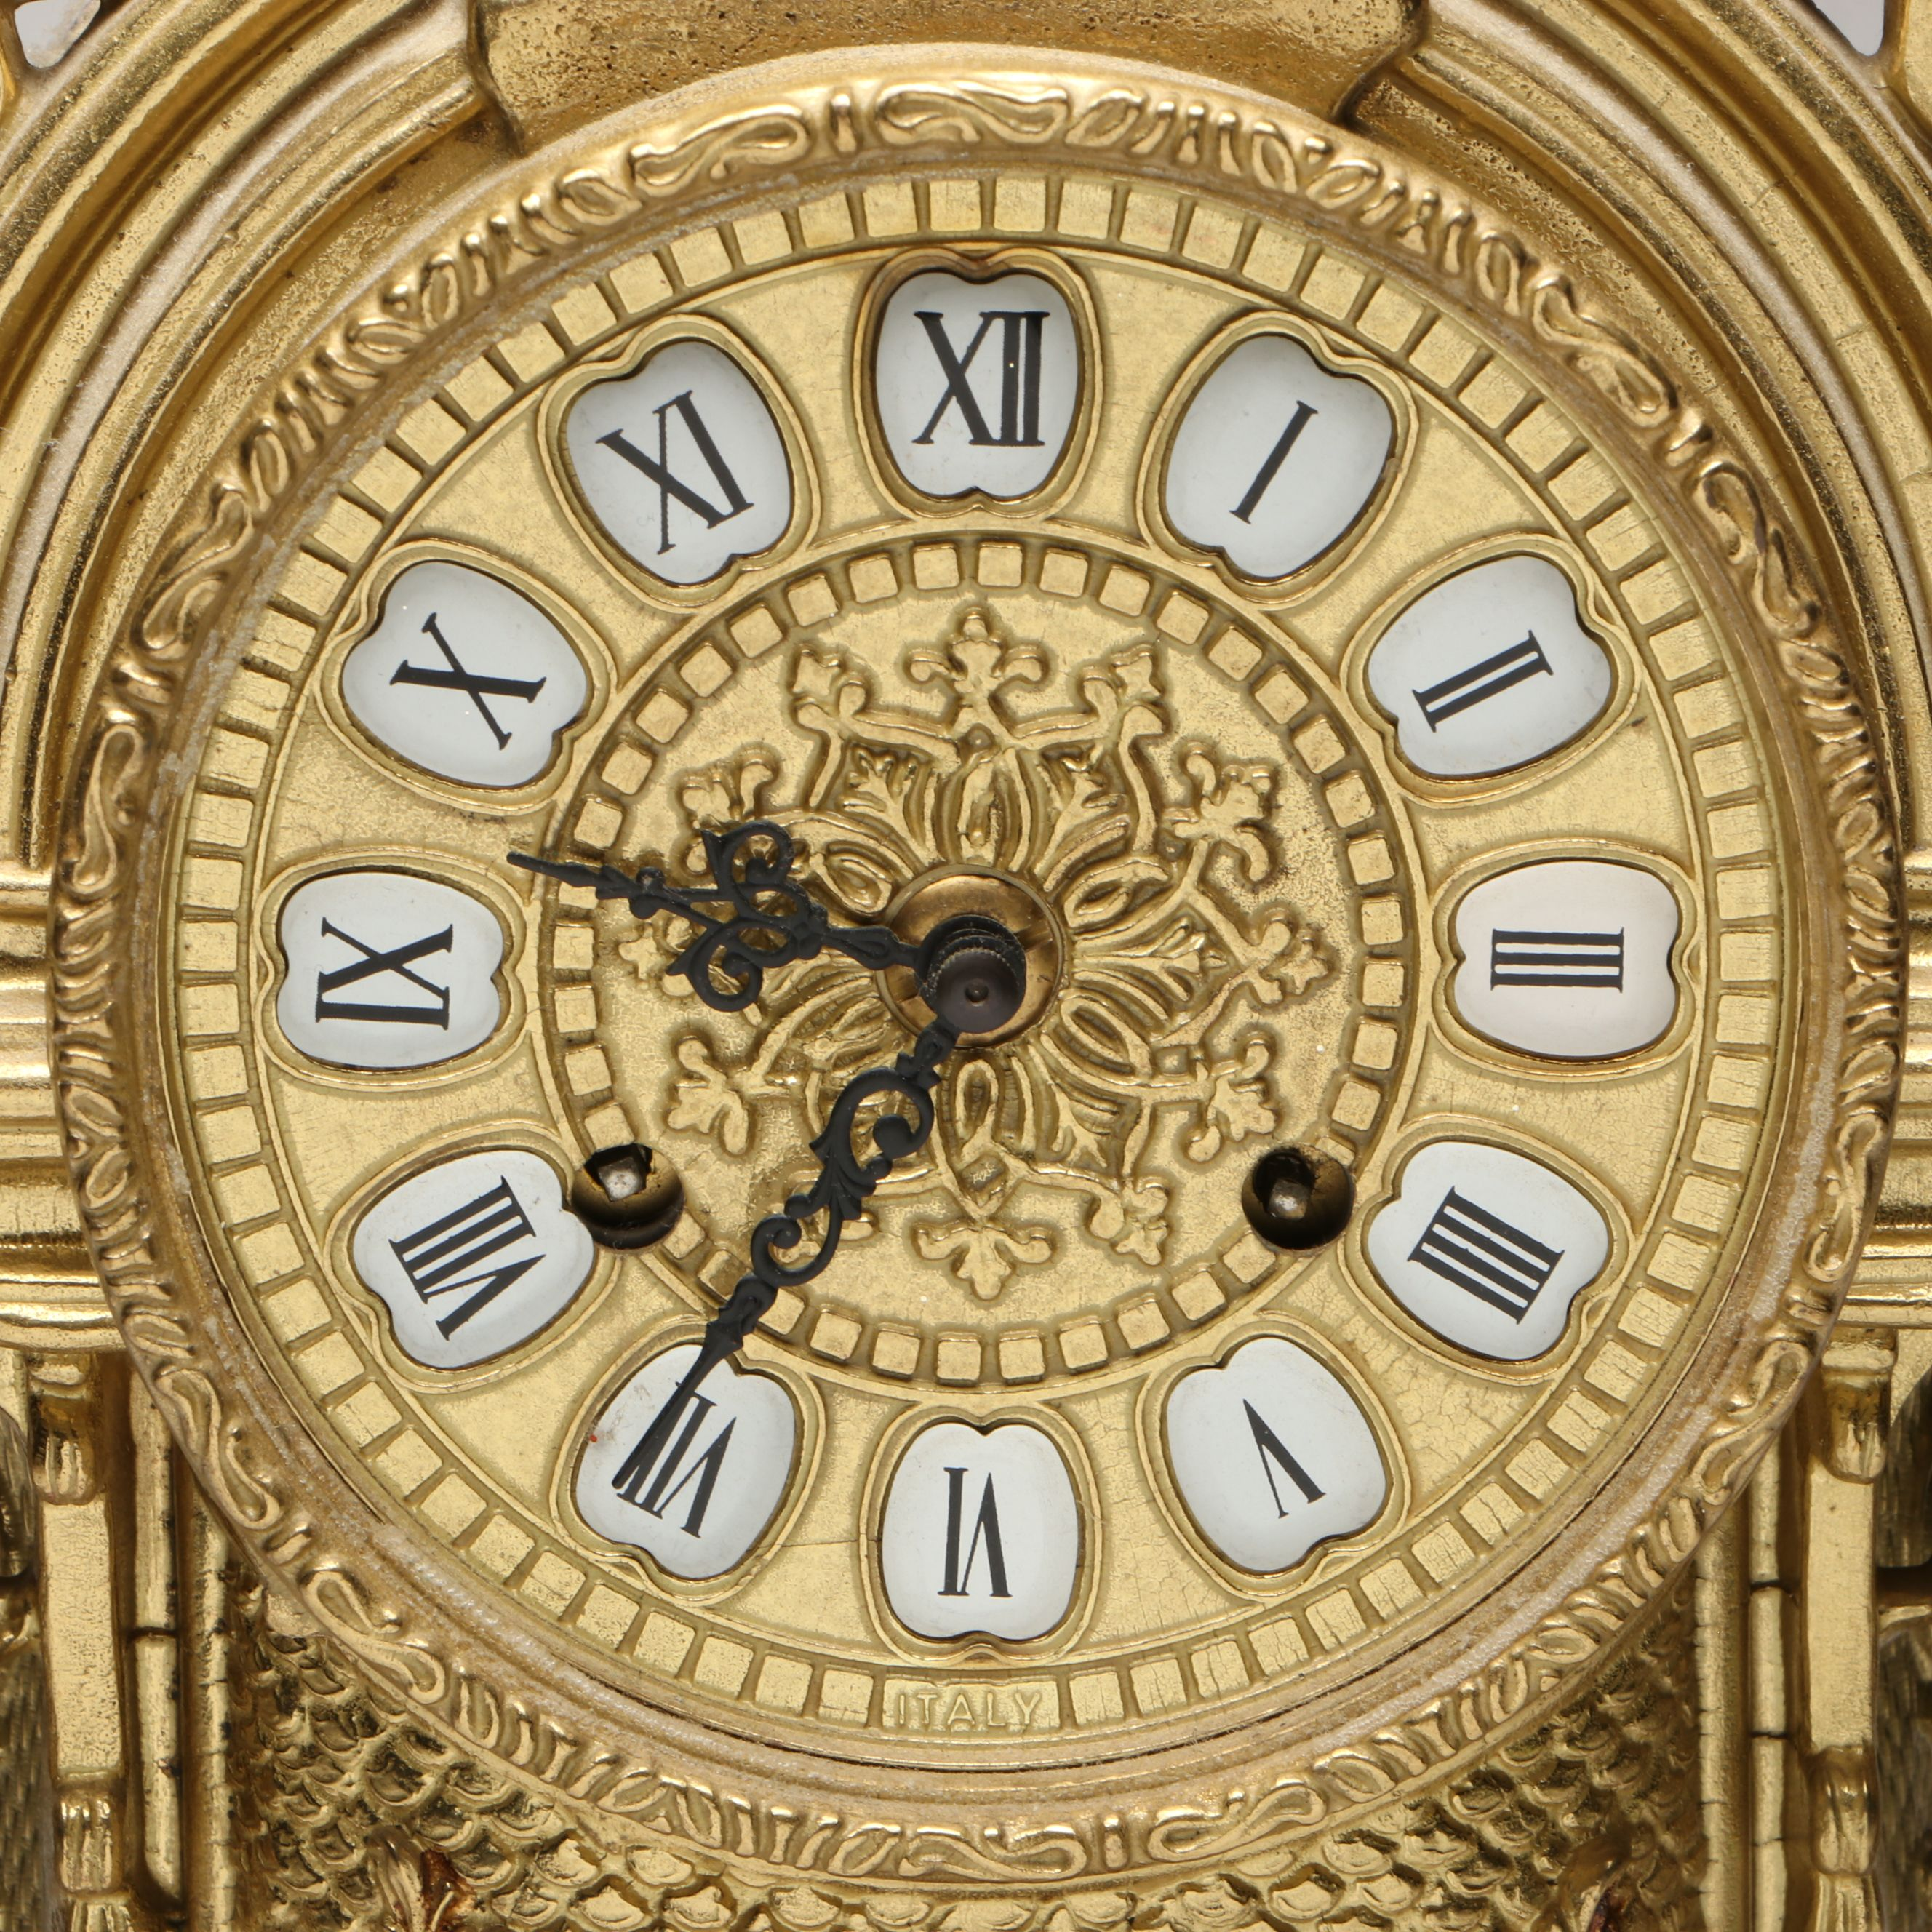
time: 9:35
